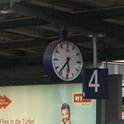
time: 5:36
